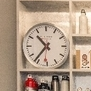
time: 10:36
